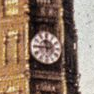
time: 11:44
